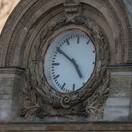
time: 4:50
